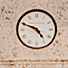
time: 4:48
